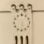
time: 5:31
